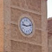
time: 9:12
